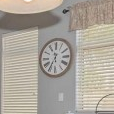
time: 11:35
